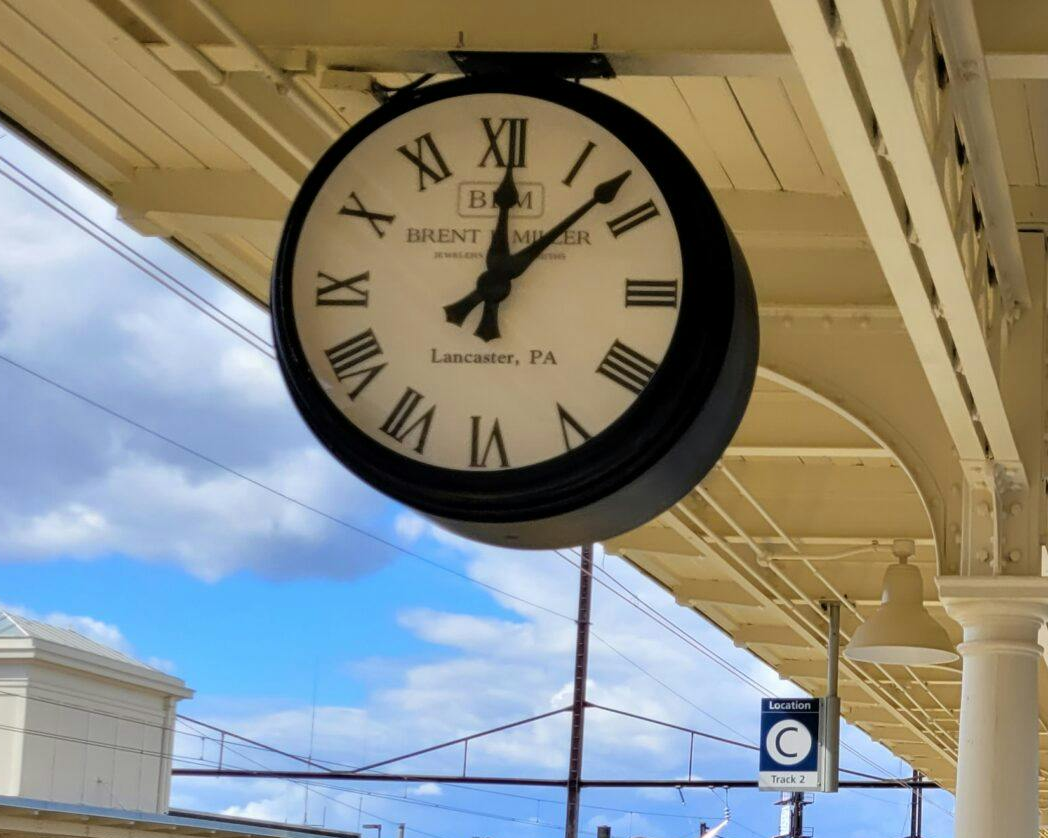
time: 12:07
